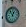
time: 12:53
